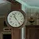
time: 11:24
